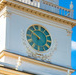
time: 6:50
